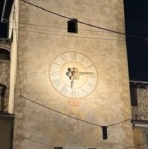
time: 6:13
